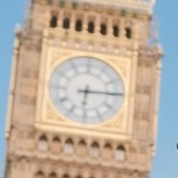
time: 6:14
